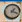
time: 1:18
